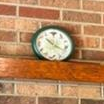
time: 10:19
